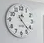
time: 12:22
